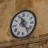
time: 11:23
